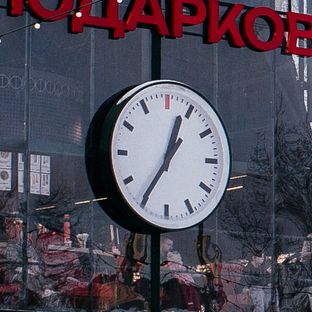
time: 12:35
